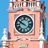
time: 9:50
